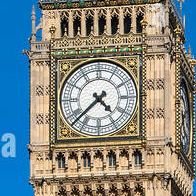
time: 4:37
